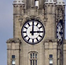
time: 3:00
